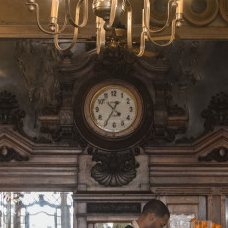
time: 4:35
